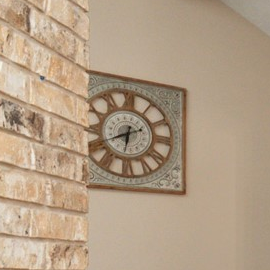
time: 6:40
